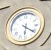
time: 6:21
